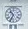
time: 10:34
